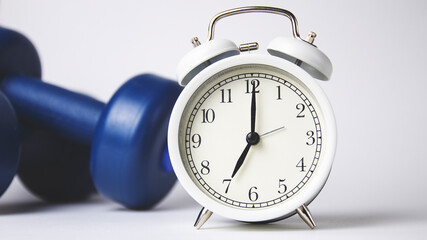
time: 7:00
